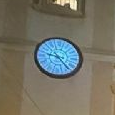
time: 9:23
